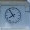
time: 7:54
